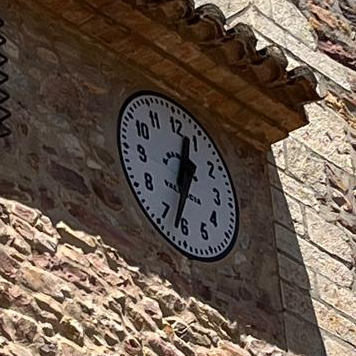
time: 12:32
